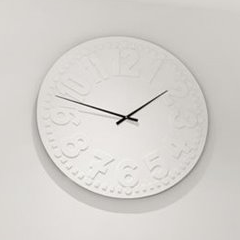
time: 1:47
